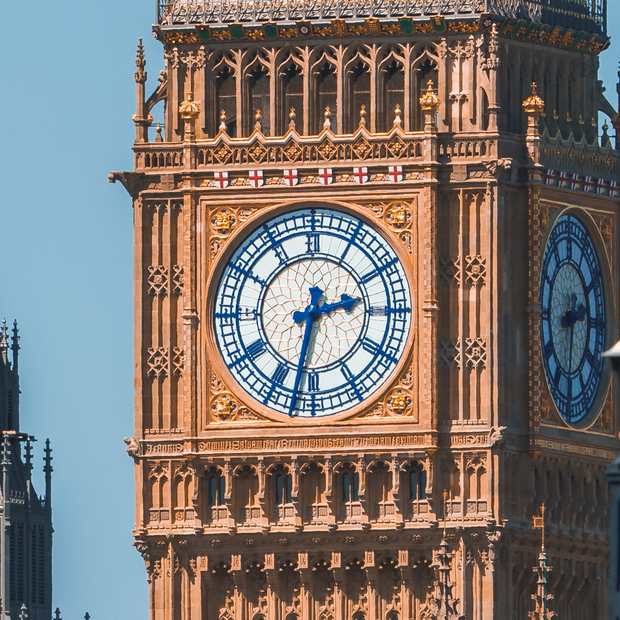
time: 2:32
